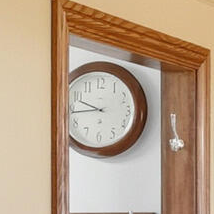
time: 9:43
